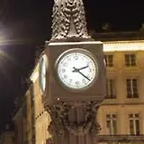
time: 2:21
